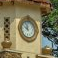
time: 9:57
